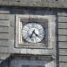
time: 4:33
